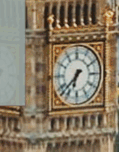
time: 6:37
